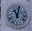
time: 11:02
